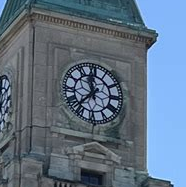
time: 11:37
